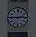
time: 2:45
